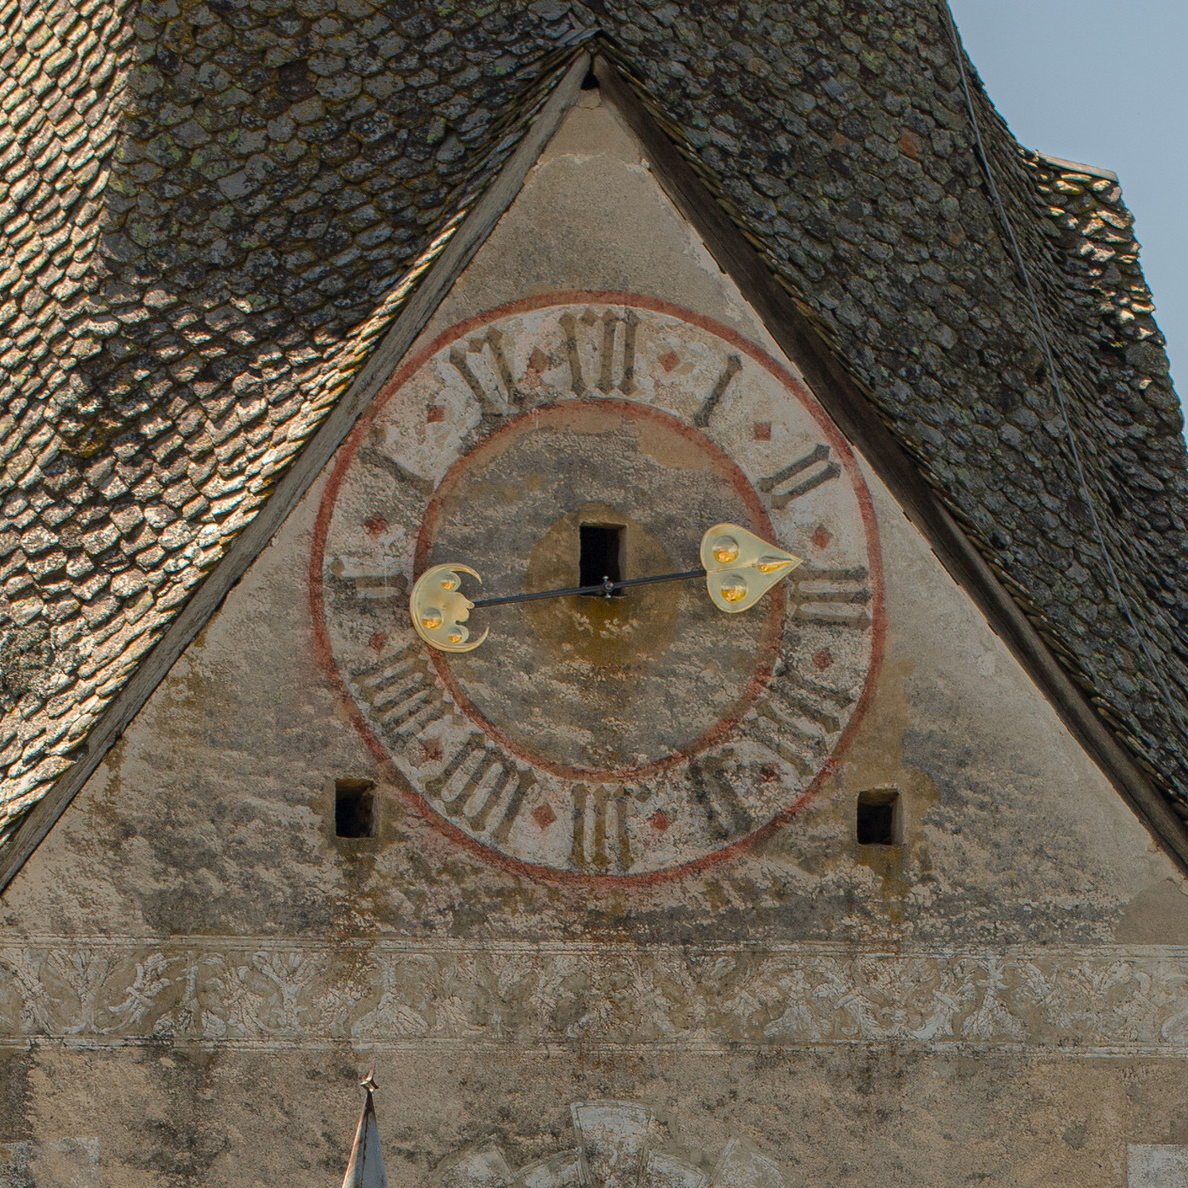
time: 12:13
